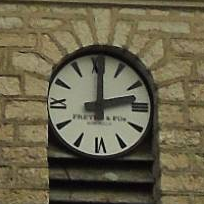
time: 12:12
